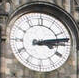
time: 3:13
